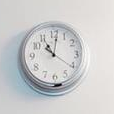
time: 10:01
